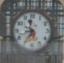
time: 11:35
